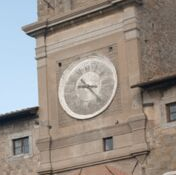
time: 9:22
